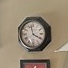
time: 3:58
